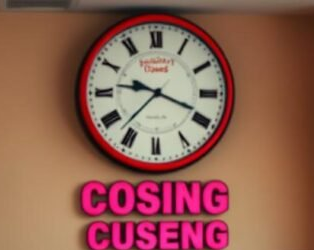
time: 9:18
